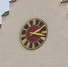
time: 3:08
